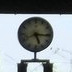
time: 5:15
